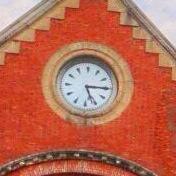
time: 5:15
